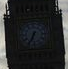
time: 6:34
